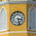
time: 3:27
